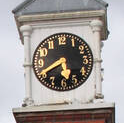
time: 5:40
